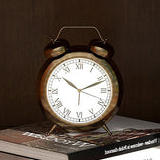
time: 10:11
